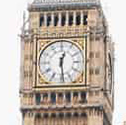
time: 12:28
